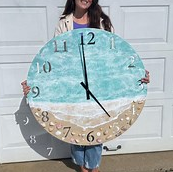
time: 4:59
